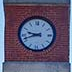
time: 9:42
